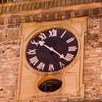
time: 10:21
